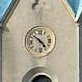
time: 4:51
